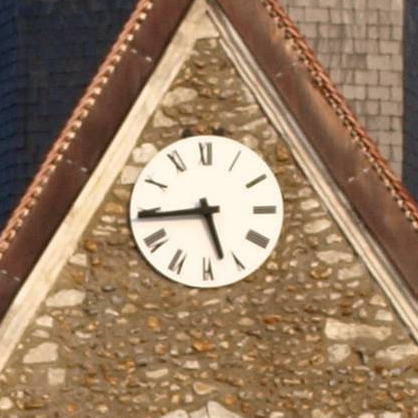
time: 5:44
